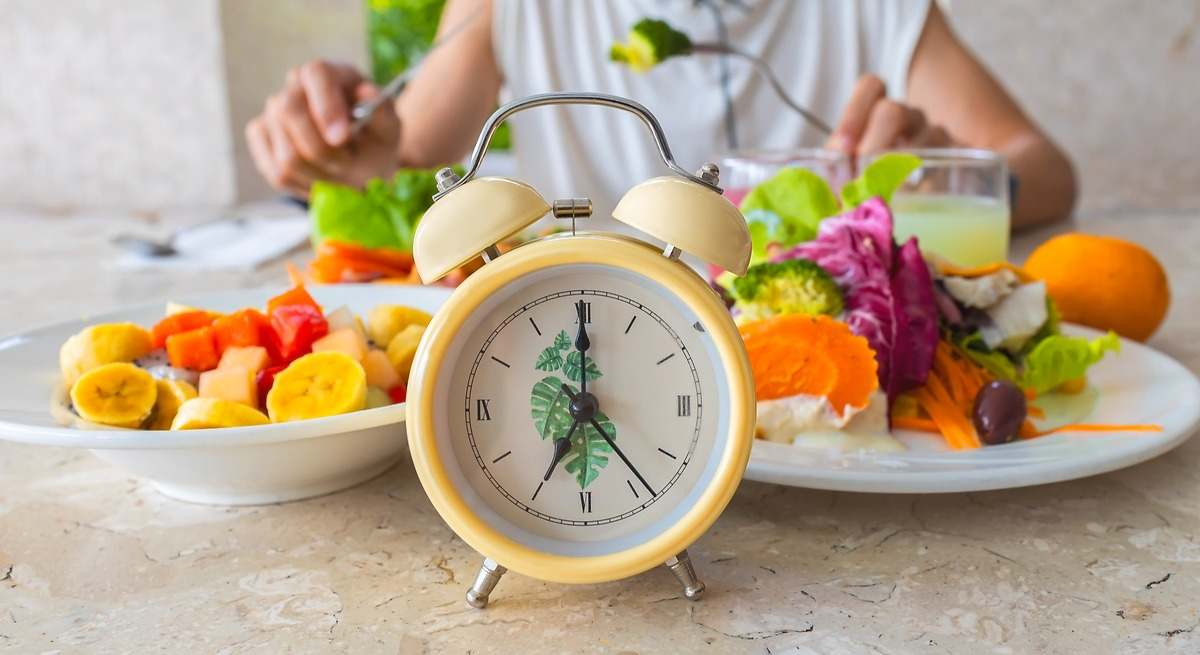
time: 7:00
